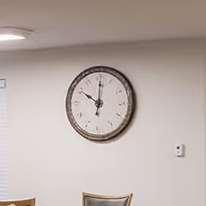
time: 10:00
